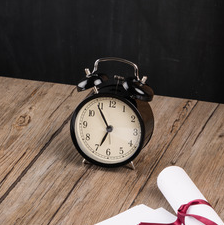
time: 6:54
